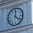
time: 12:21
